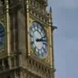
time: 2:12
